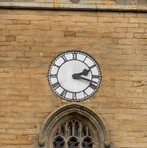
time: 2:18
